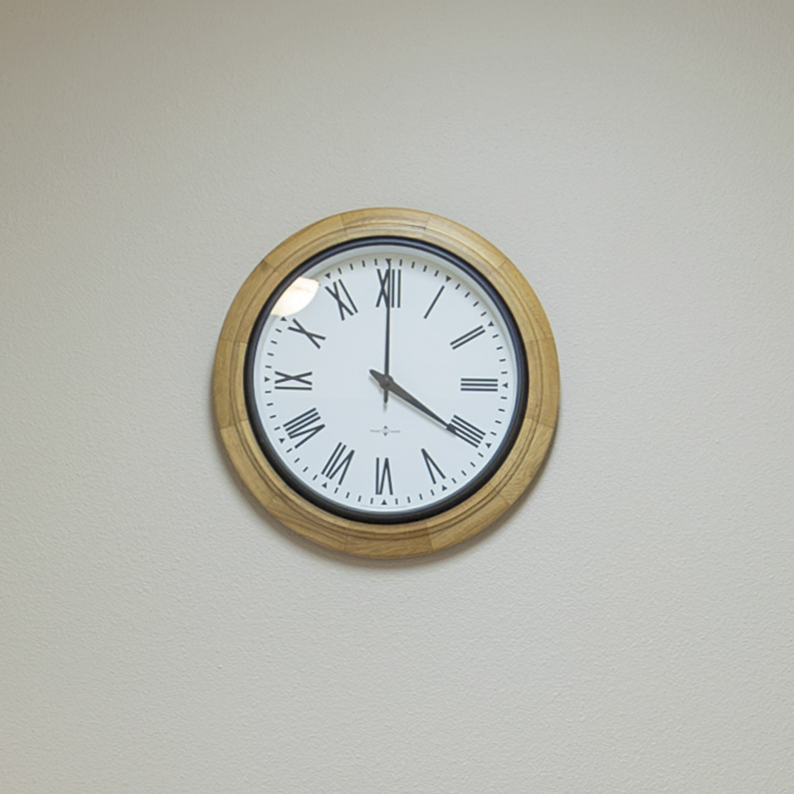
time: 4:00
